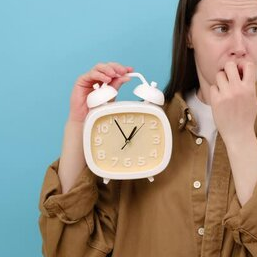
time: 12:55
